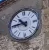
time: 10:45
